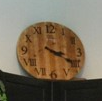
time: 3:19
